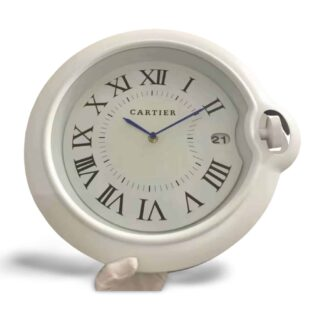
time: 10:09
